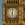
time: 6:00
